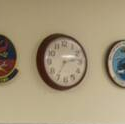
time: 2:35
